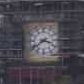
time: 3:39
